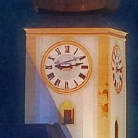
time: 9:12
